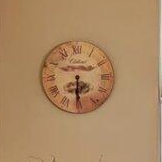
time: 6:30
